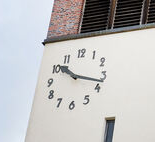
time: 10:17
